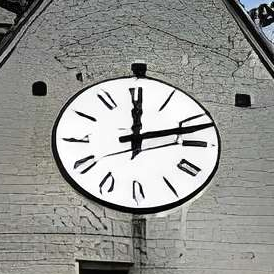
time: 12:12
